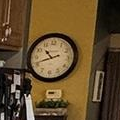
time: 10:41
